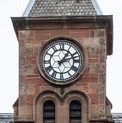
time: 1:12
